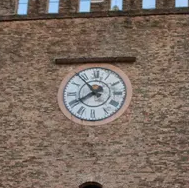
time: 7:53
